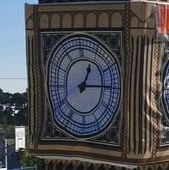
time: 1:14
